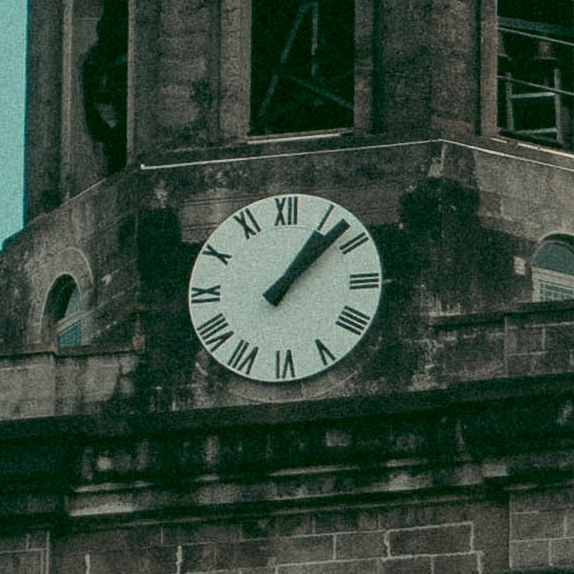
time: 1:07
